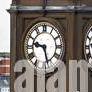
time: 9:27
